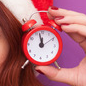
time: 11:57
